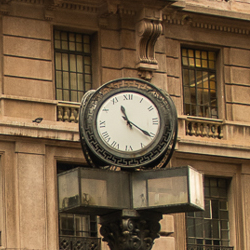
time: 11:20
